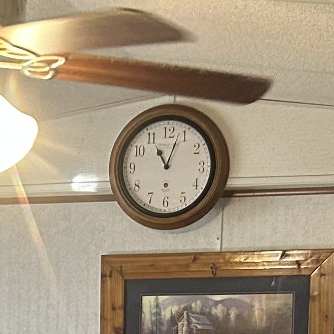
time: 11:03
